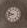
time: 9:42
